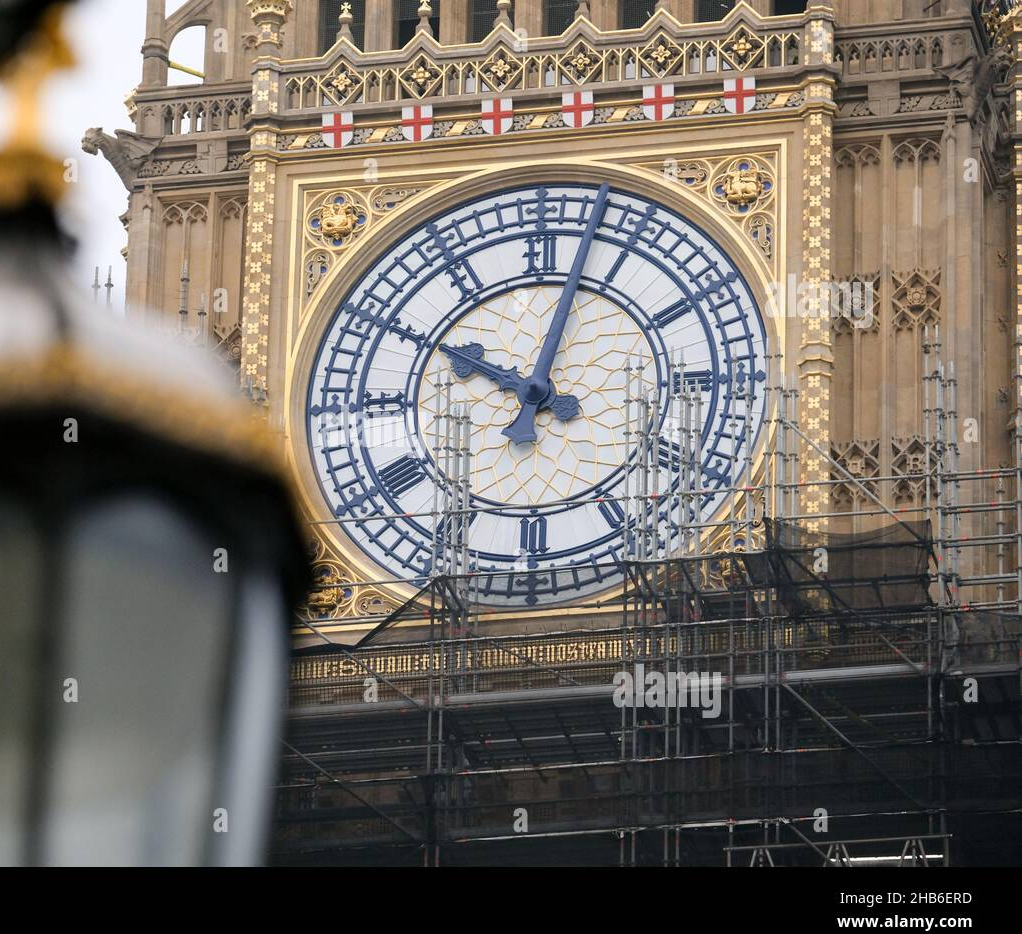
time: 10:02
